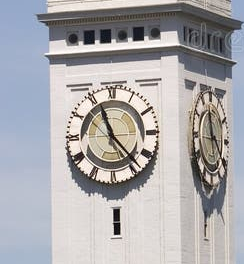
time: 11:22
